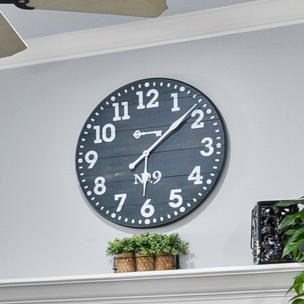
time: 6:08
